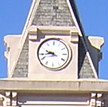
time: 9:43
